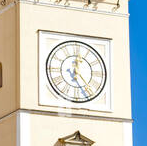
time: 12:24
